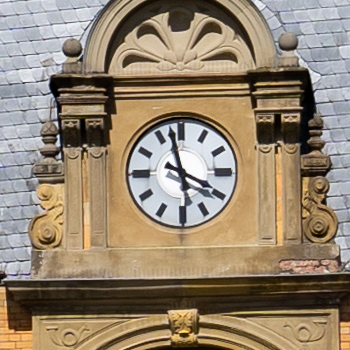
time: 3:57
